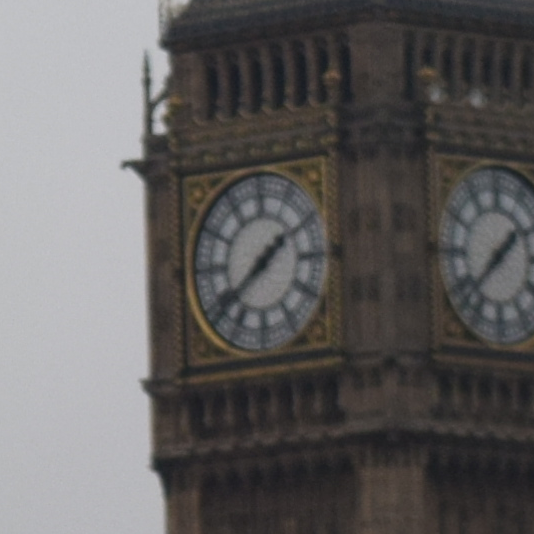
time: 1:38
